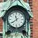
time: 11:38
